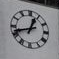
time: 12:42
